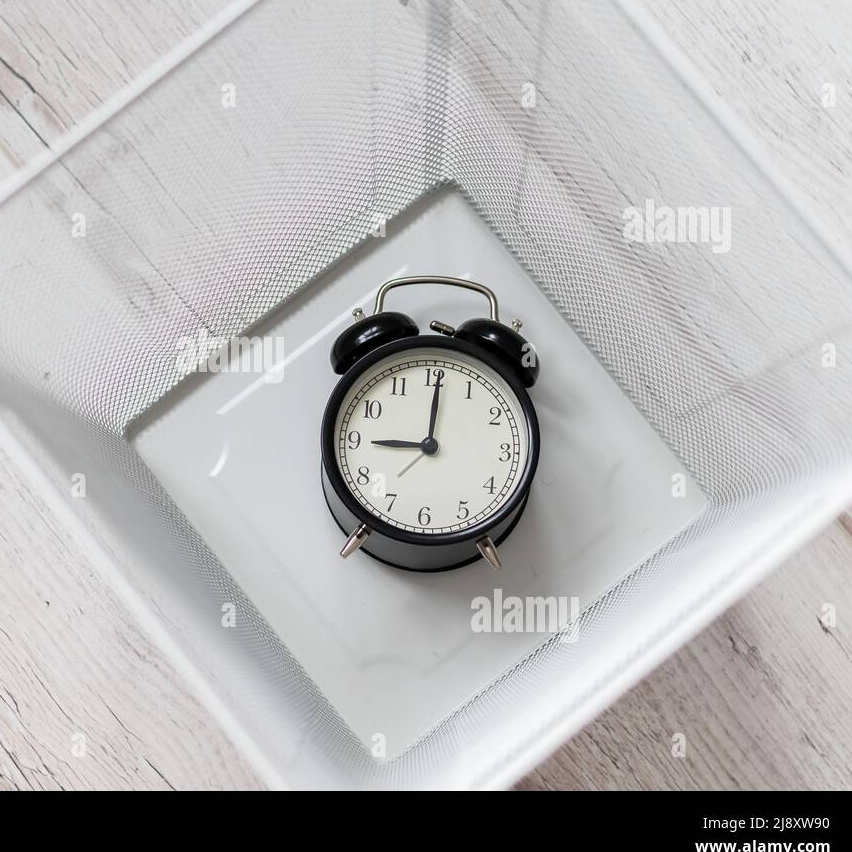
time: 9:00
